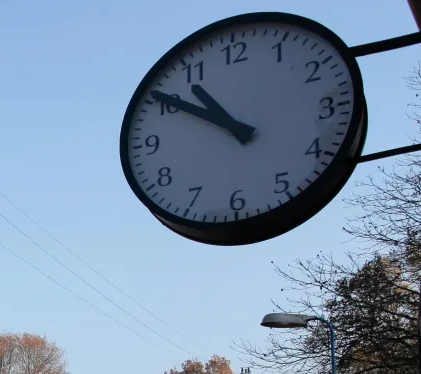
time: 10:50
